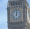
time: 1:01
